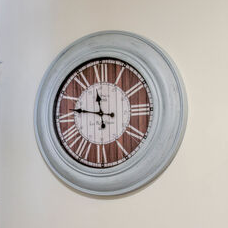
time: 11:46
